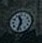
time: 11:33
